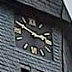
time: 2:48
